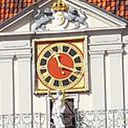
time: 11:18
